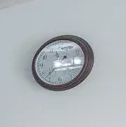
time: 7:15
